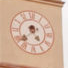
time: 4:38
